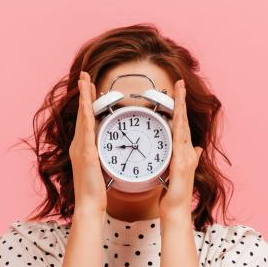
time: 8:53
